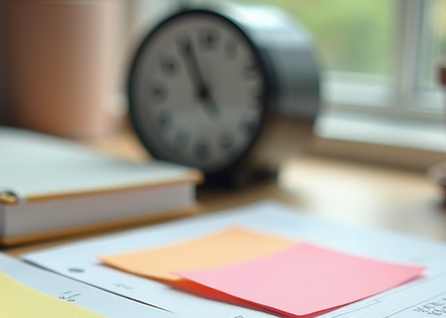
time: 10:56
